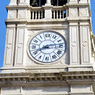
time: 8:13
